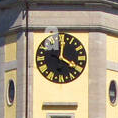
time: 4:00
